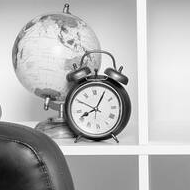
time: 8:05
